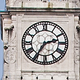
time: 2:35
